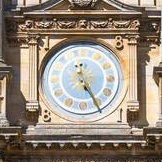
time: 11:25
